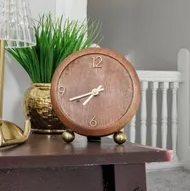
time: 7:41
